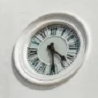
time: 4:29
